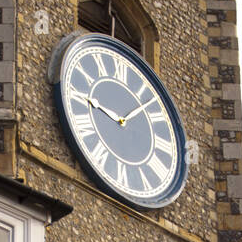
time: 9:07
